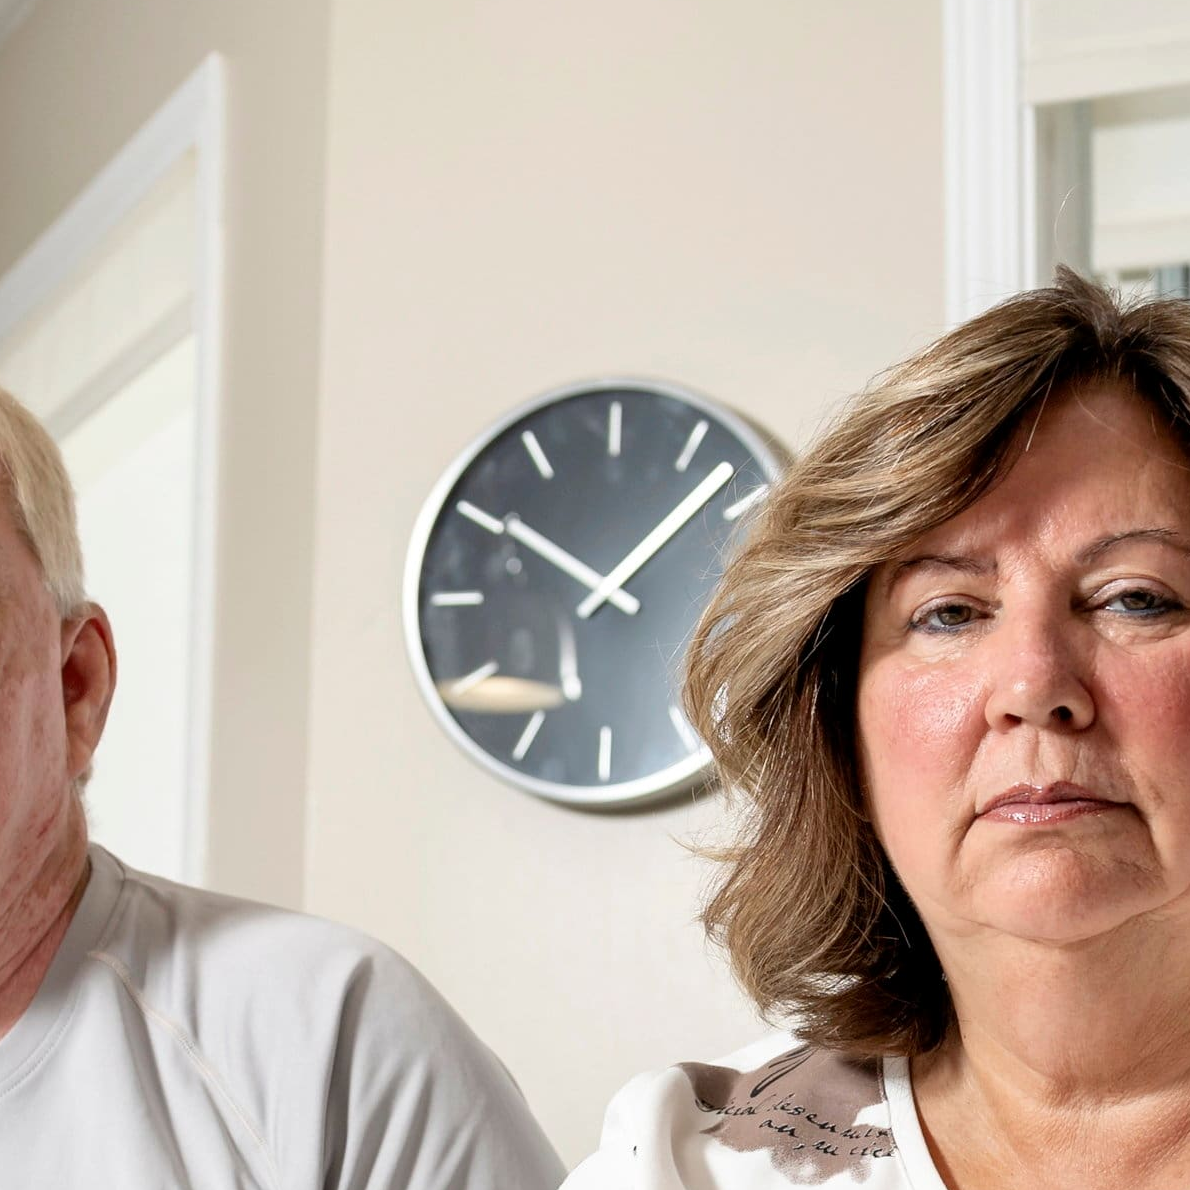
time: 10:07
